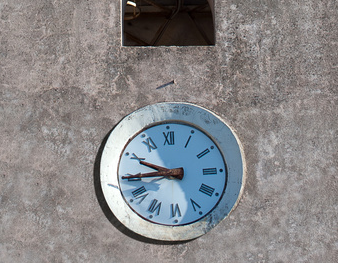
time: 9:44
